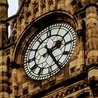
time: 2:25
